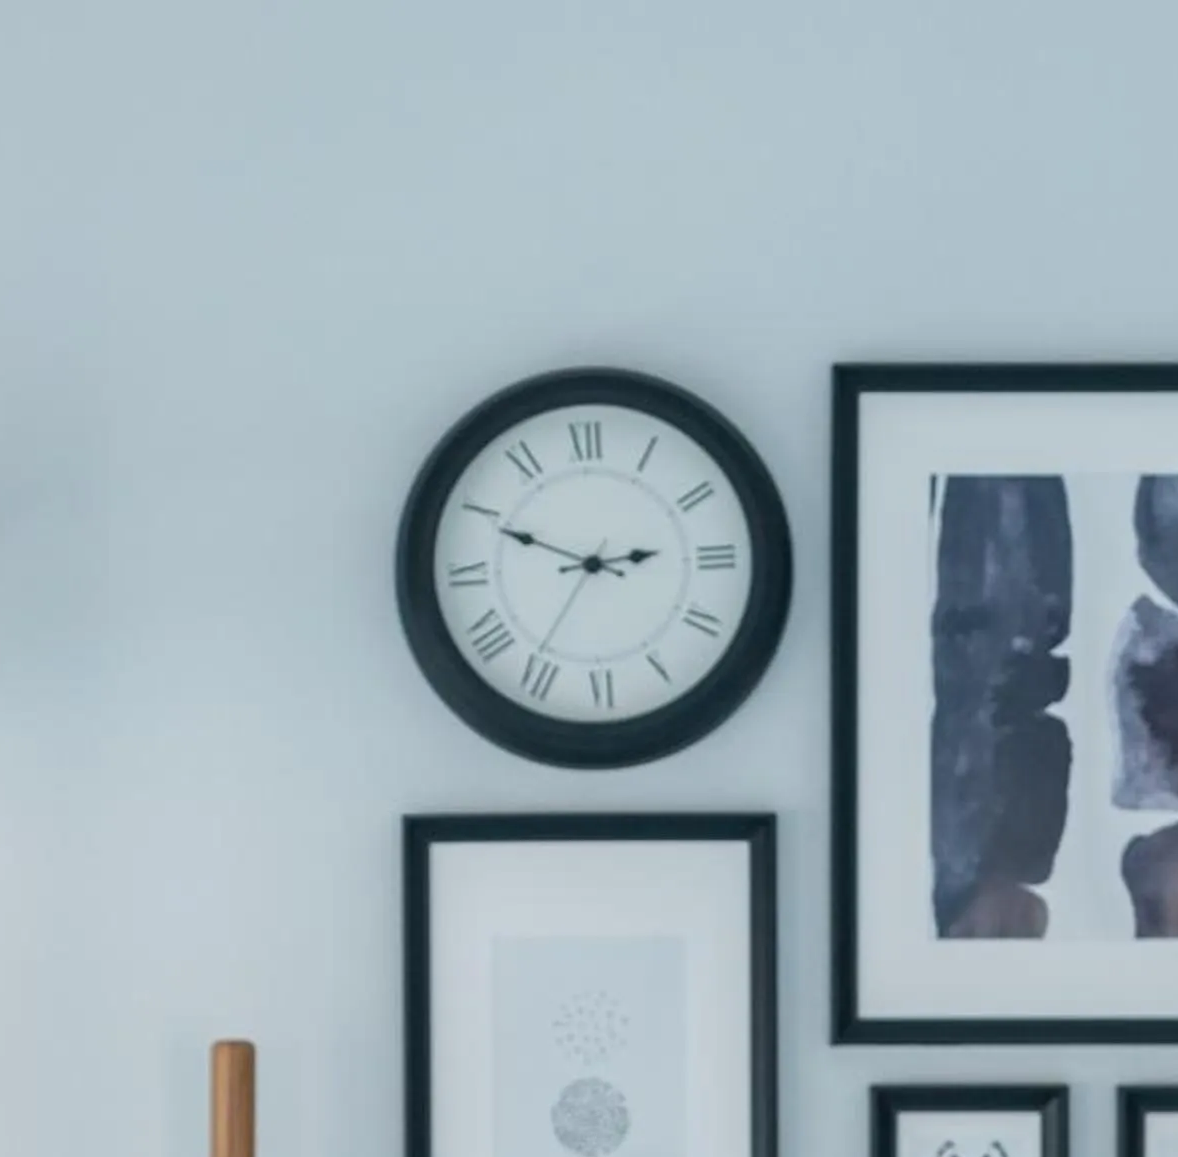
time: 2:49
